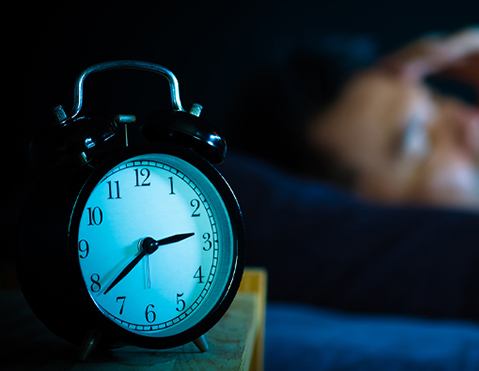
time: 2:38
